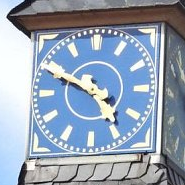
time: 4:49
